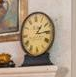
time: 1:13
